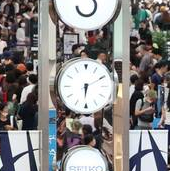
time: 6:10
